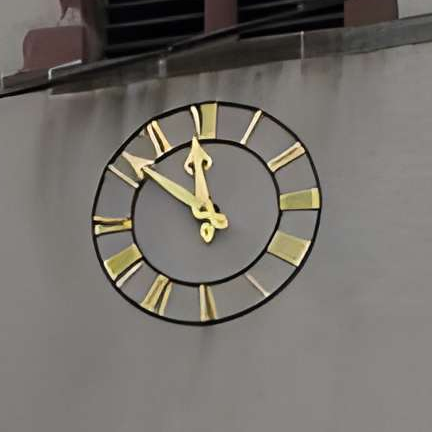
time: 11:51
